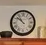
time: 10:51
